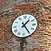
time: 1:24
